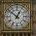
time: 12:52
